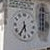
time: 5:35
